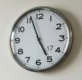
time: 4:56
